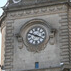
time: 3:48
